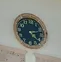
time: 4:13
